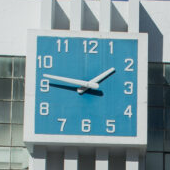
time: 1:46
